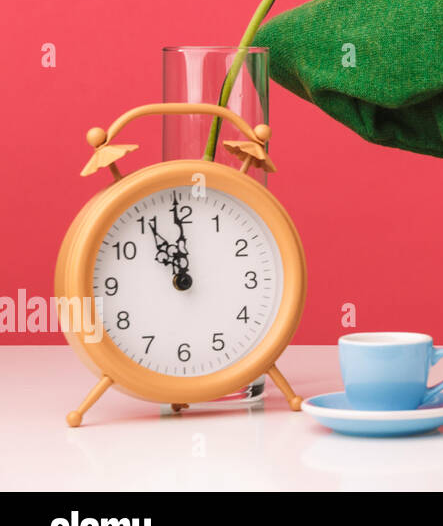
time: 10:59
